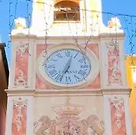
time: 7:02
